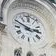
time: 2:48
